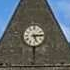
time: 5:14
